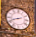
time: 8:41
